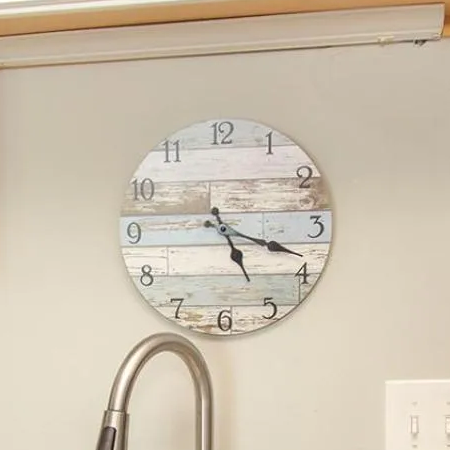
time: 5:18
